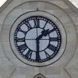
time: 1:30
